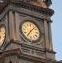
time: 7:07
